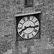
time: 8:16
